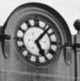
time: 5:06
